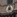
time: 7:00
